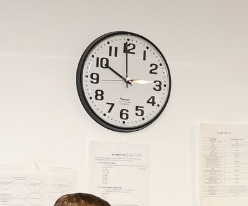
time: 9:59
